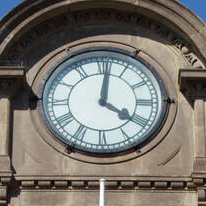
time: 4:01
